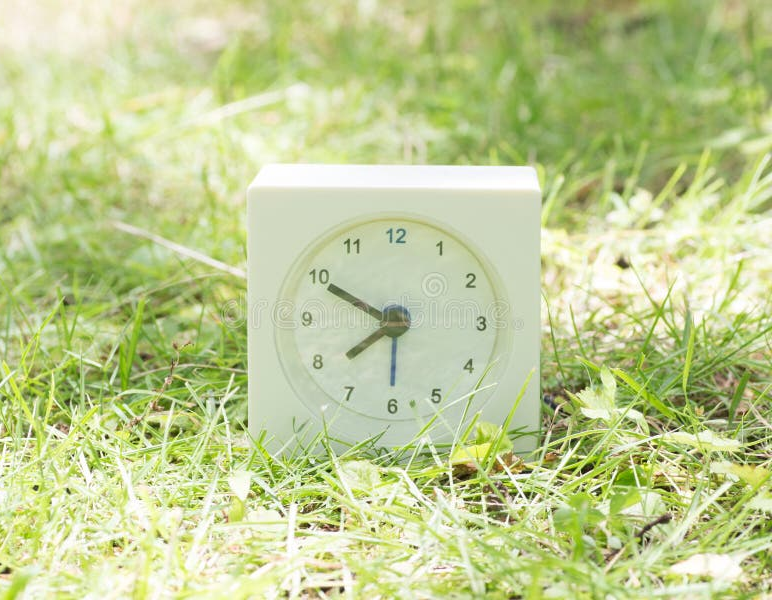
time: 7:49
